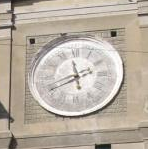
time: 11:41
